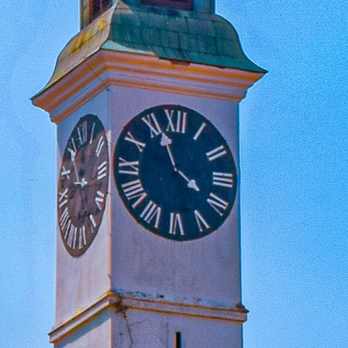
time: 3:56
